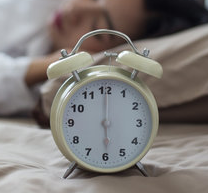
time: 6:00
